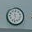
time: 11:32
